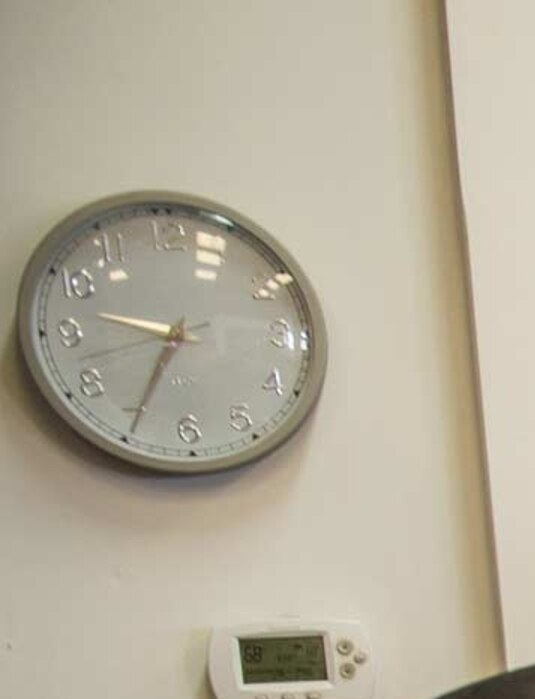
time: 9:34
